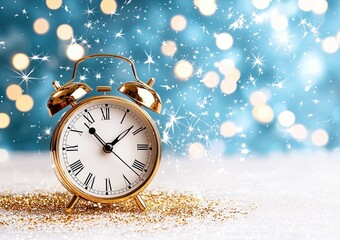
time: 1:53
